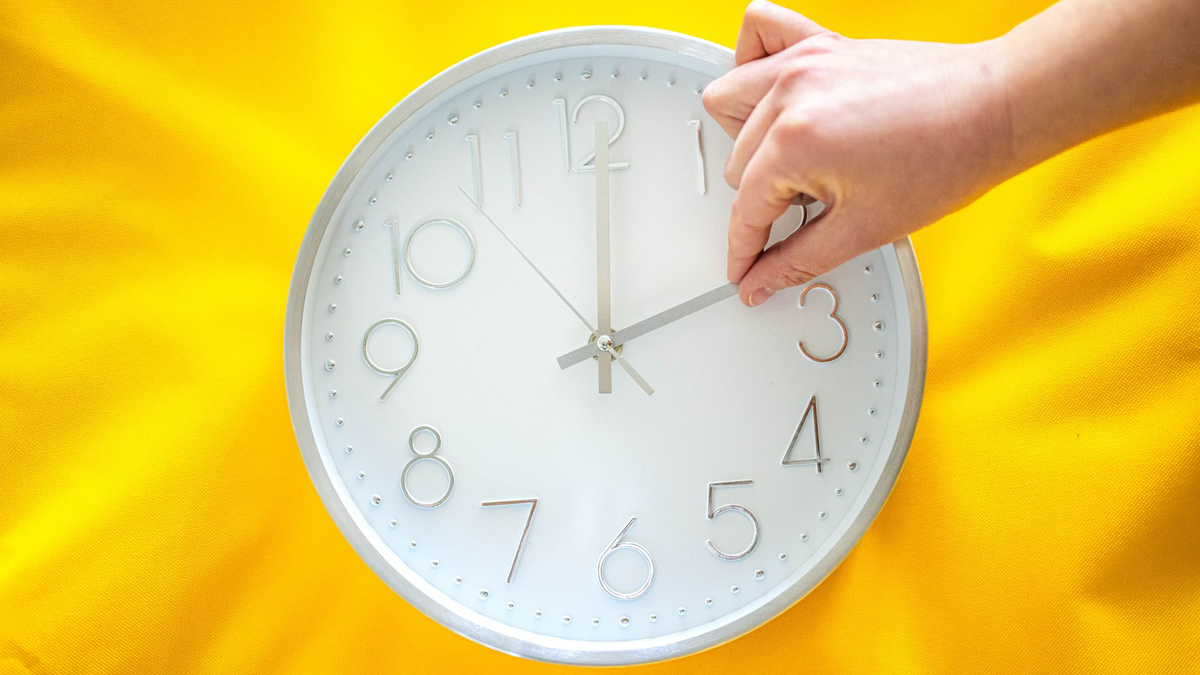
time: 12:11
